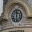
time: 12:28
